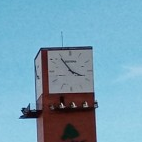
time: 3:54
